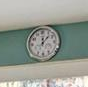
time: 12:07
